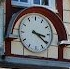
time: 3:21
